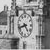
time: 4:42
